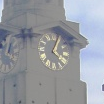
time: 4:04
